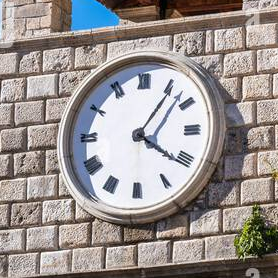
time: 4:06
